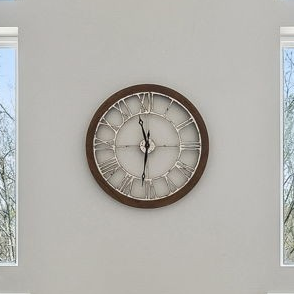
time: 11:31
